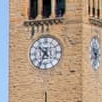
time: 10:34
